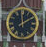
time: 1:59
